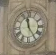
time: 11:24
